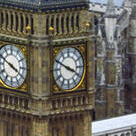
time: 3:49
